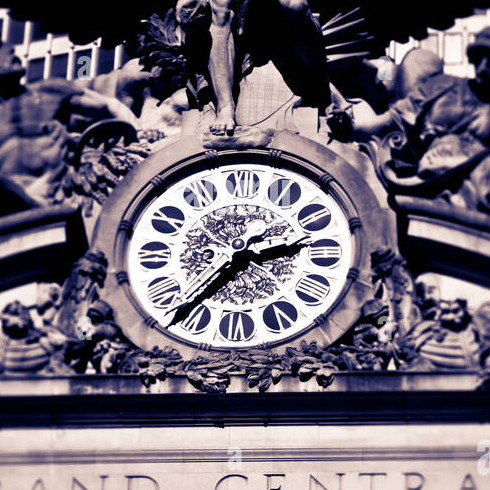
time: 2:36
